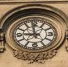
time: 8:58
